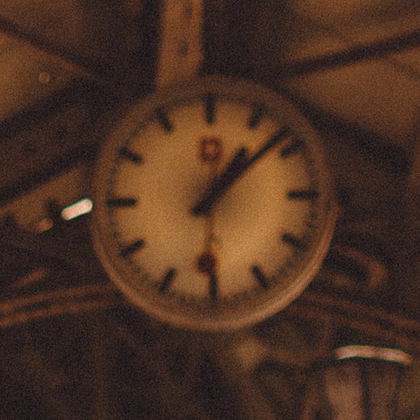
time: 1:08
